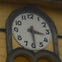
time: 3:29
